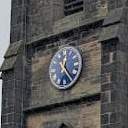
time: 12:23
